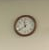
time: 11:38
